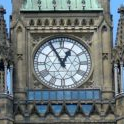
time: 12:55
